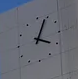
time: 4:04
